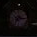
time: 7:15
